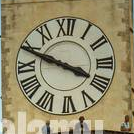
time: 3:48
